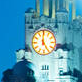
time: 4:59
